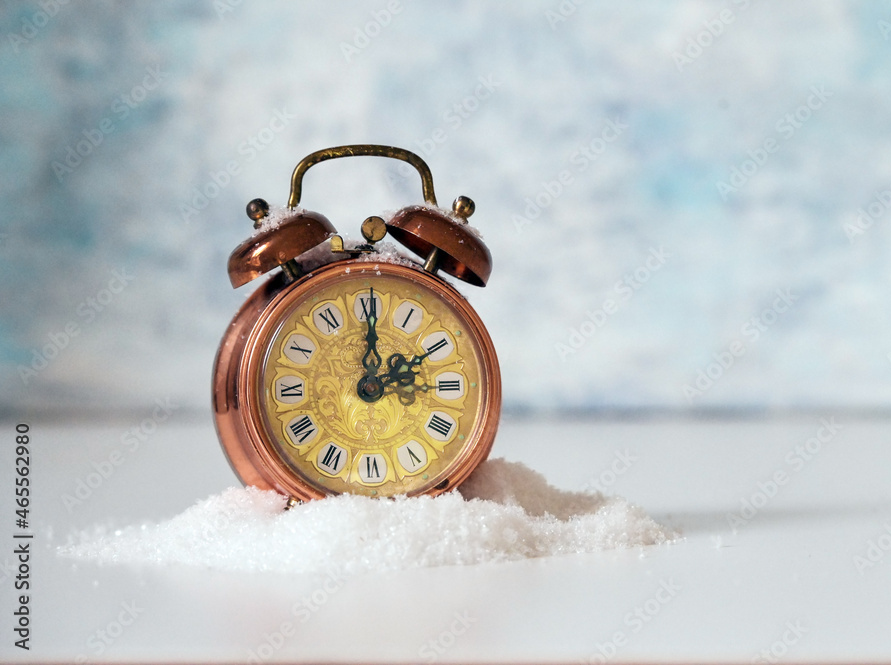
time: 2:00
